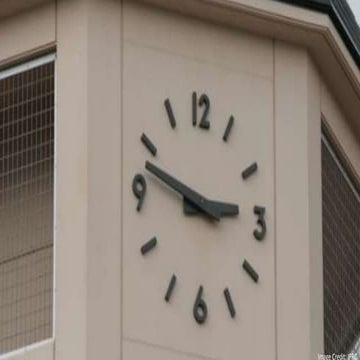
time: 2:47
